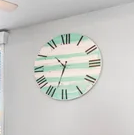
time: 10:33
